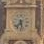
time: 7:28
